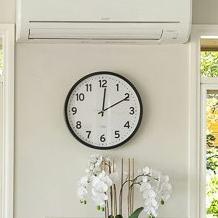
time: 12:10
